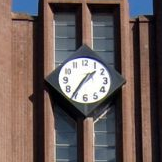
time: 1:35
